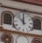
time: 11:52
